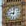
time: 9:01
